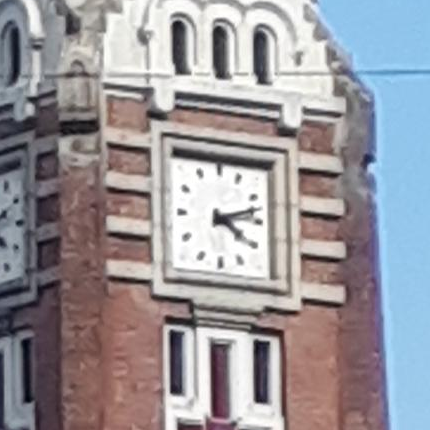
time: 4:12
